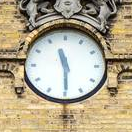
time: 11:29
